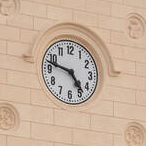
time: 4:47
